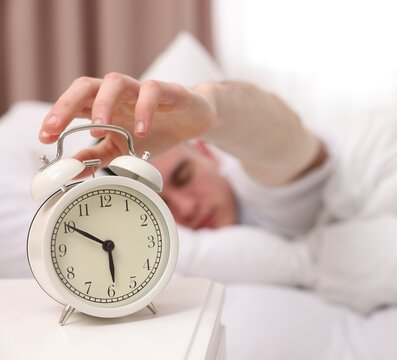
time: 5:50
